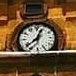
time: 12:38
